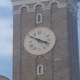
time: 3:49
